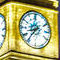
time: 8:36
